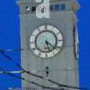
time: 5:21
